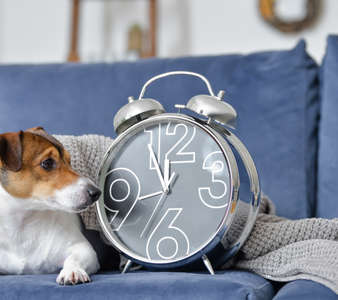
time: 11:55
